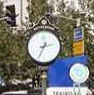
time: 2:34
